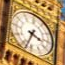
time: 3:33
